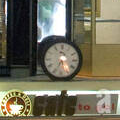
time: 5:34
